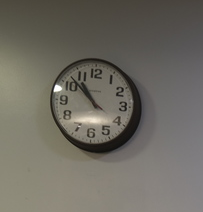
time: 10:52
